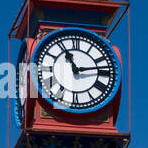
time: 11:13
